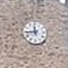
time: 11:44
